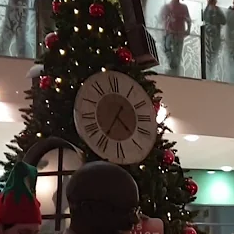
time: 4:35
